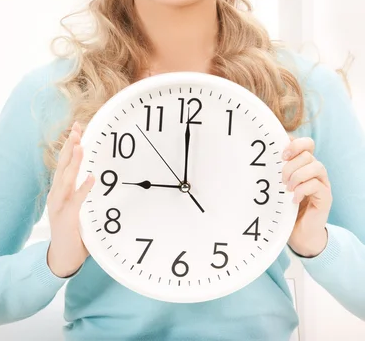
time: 8:59
